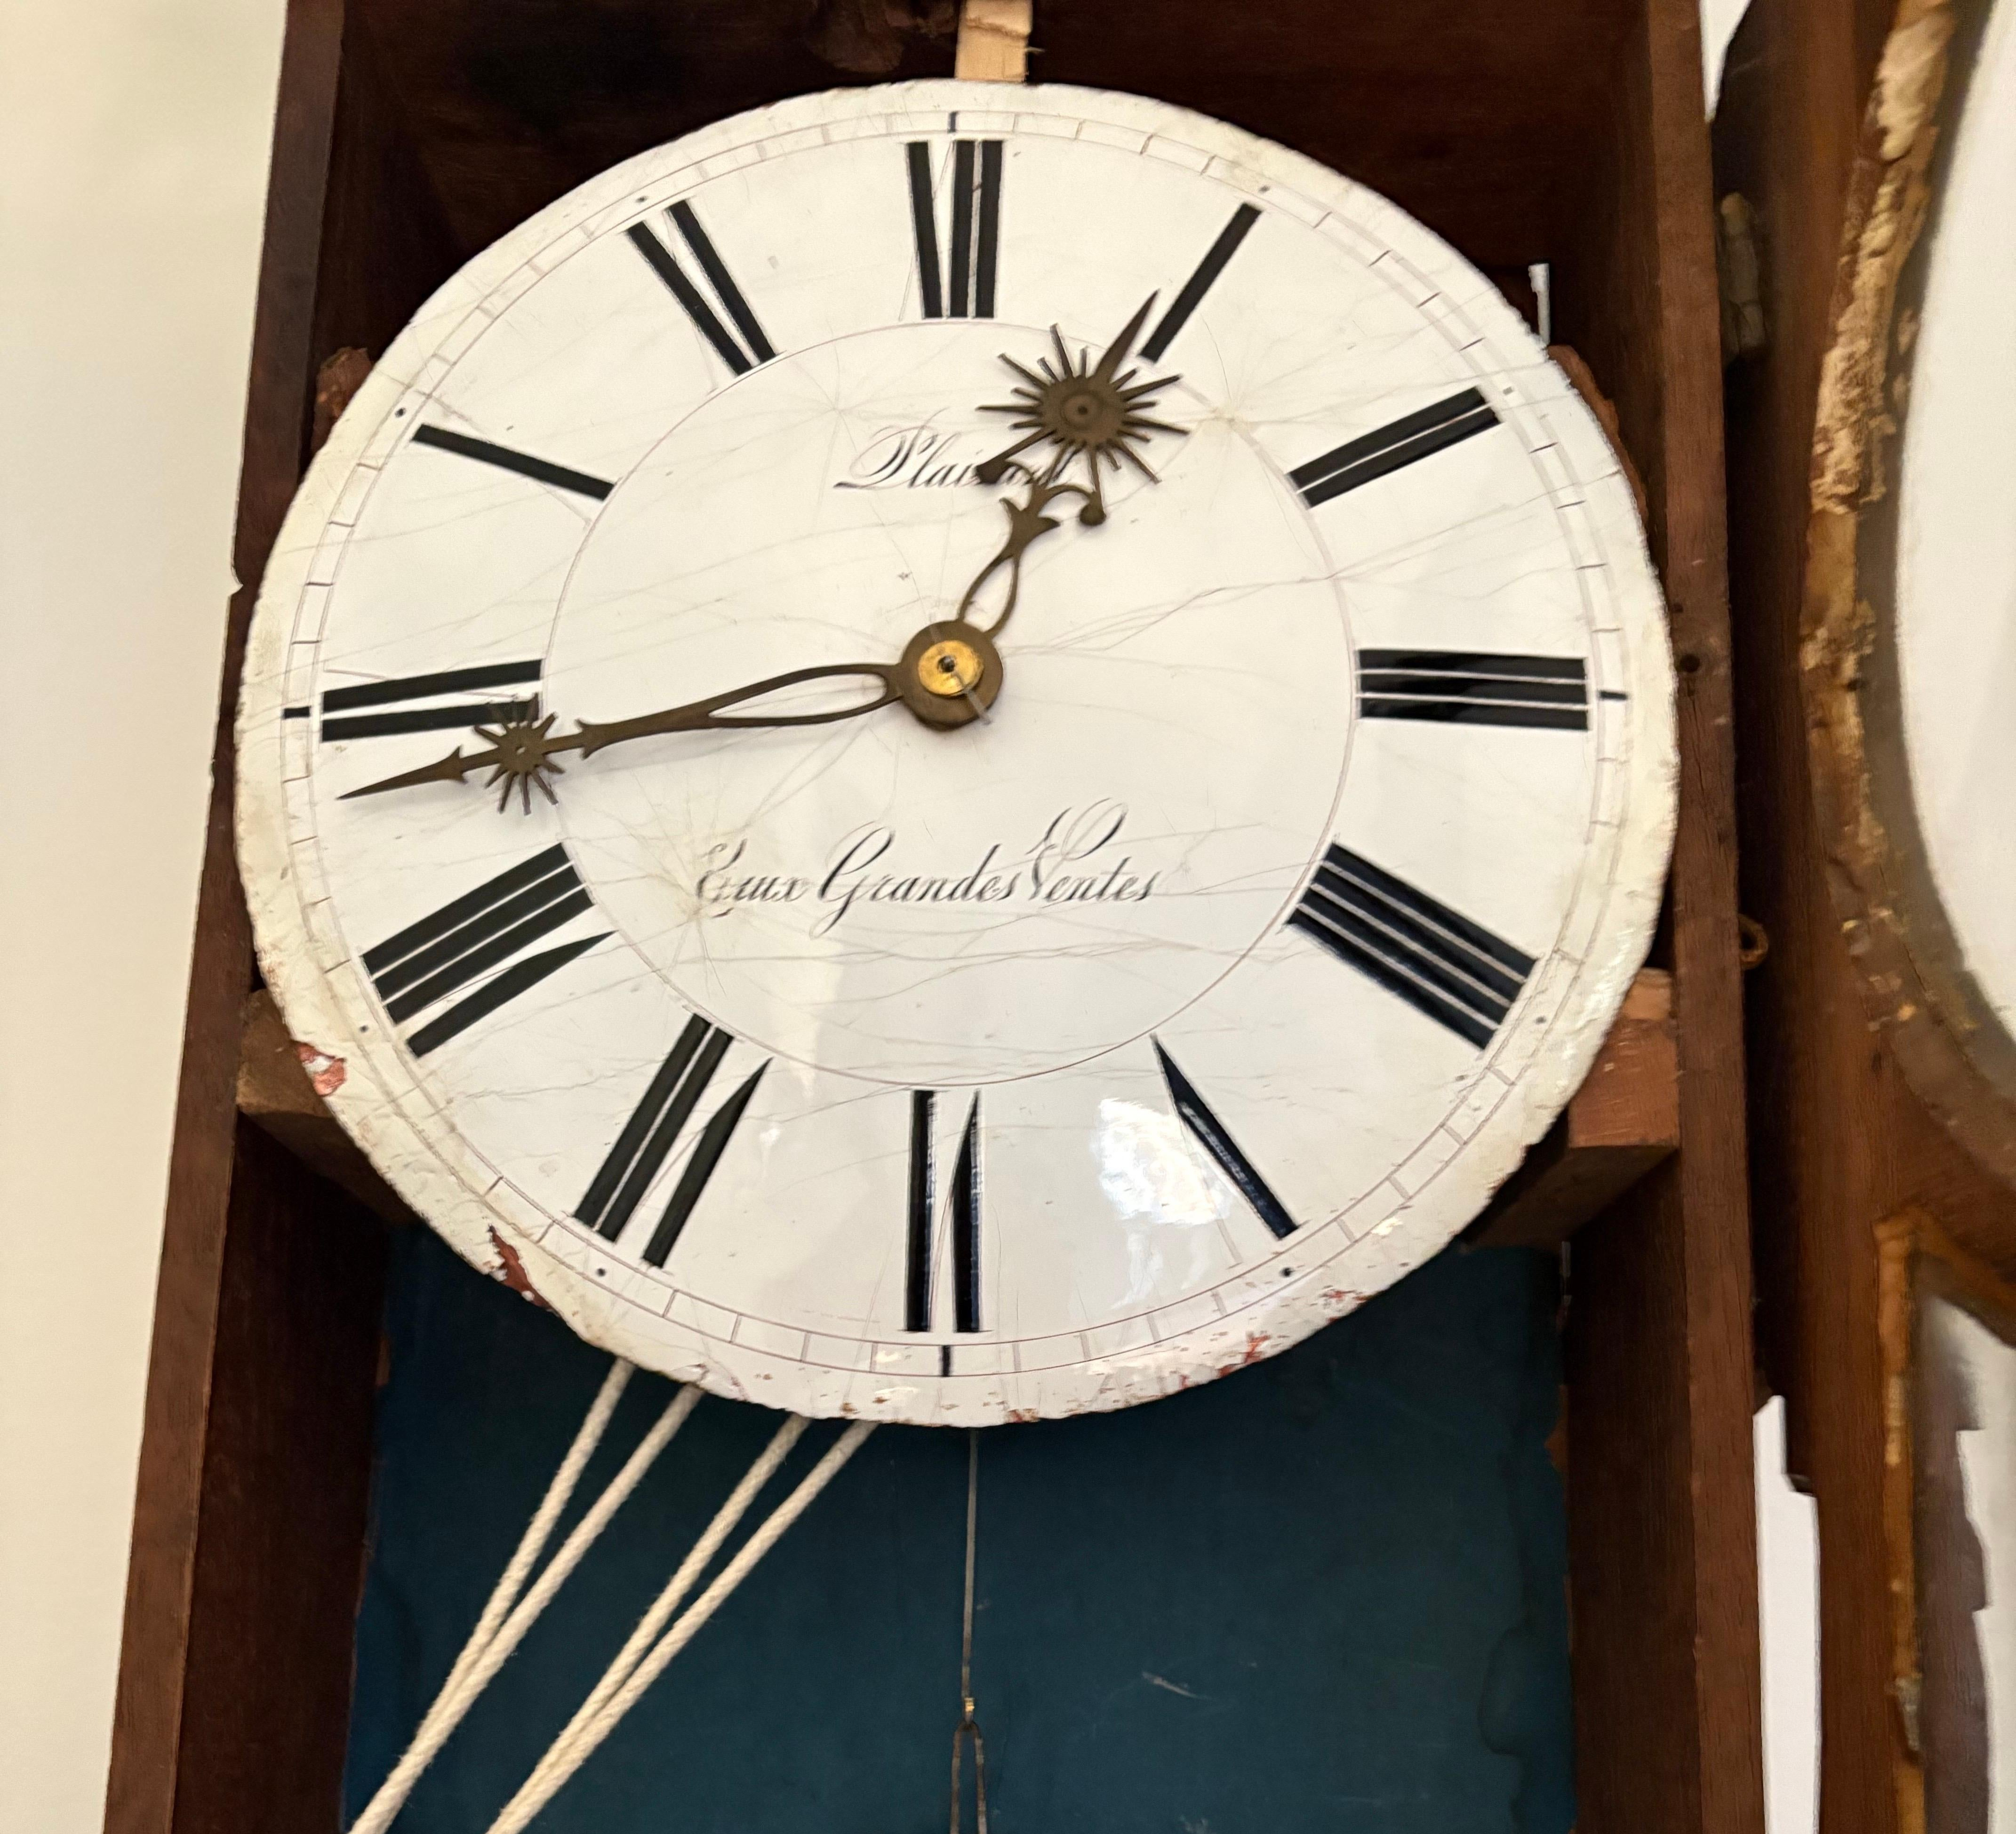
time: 12:43
